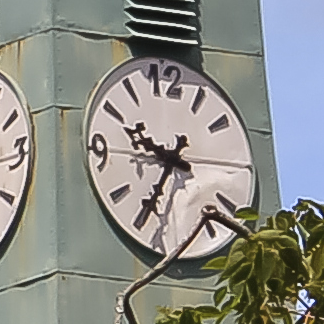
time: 9:35
